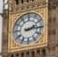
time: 2:14
